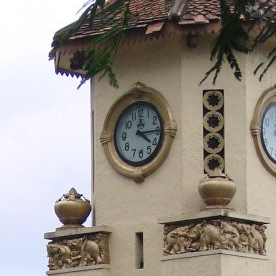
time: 4:14
